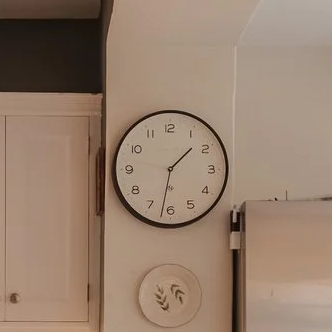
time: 1:31
